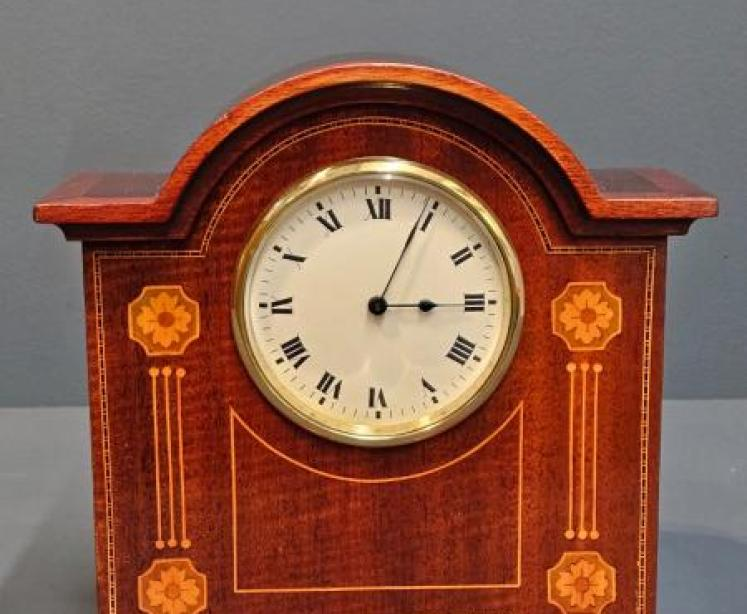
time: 3:04
